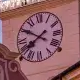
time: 7:50
